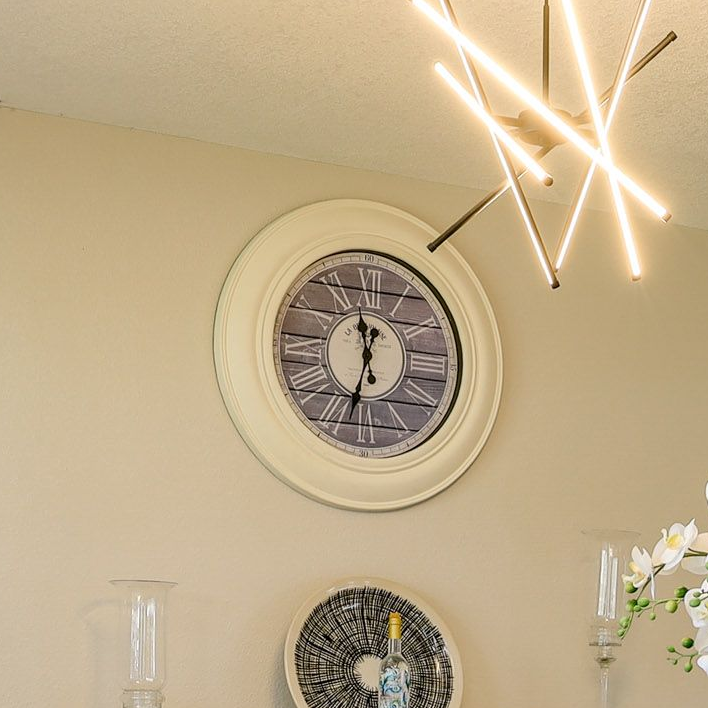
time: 11:32
